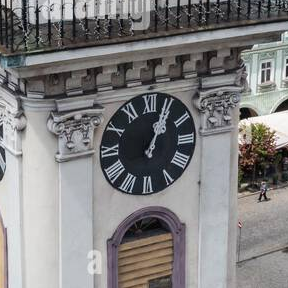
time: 1:03
